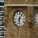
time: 6:06
